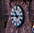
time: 10:45
